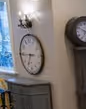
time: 6:44
